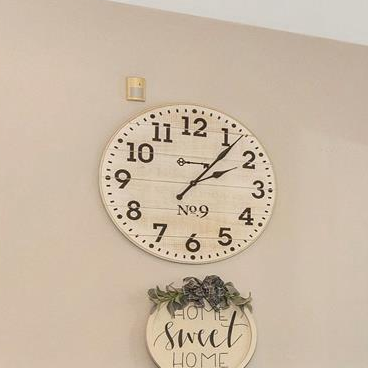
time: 2:06
